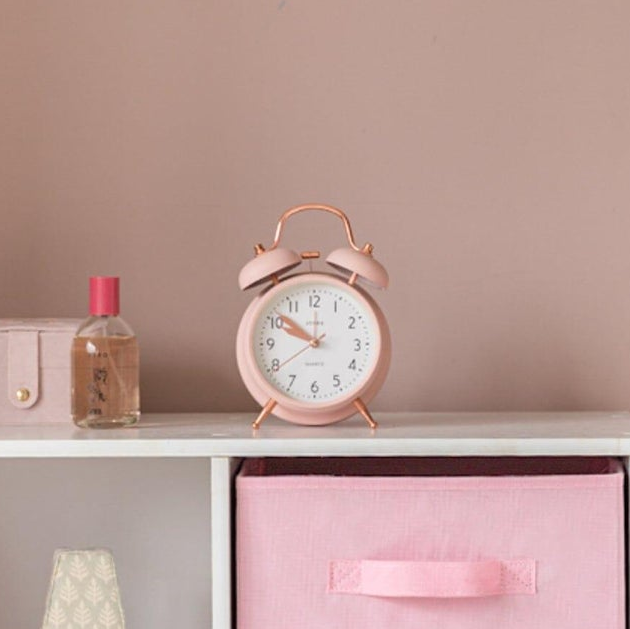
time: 9:51
